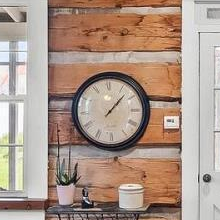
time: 1:07
